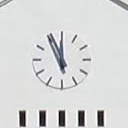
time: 11:56
